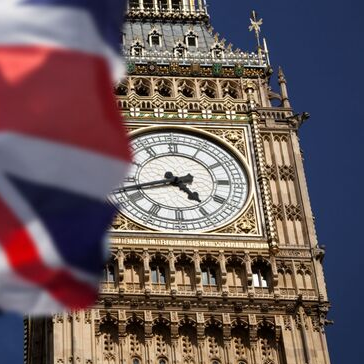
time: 4:42
